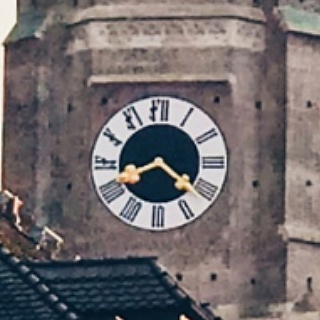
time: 8:21
